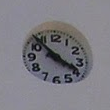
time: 3:52
